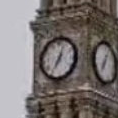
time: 7:03
